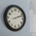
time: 2:11
